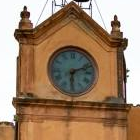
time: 6:11
